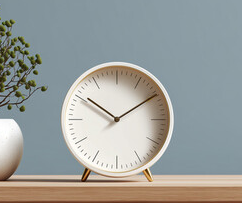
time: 10:09
